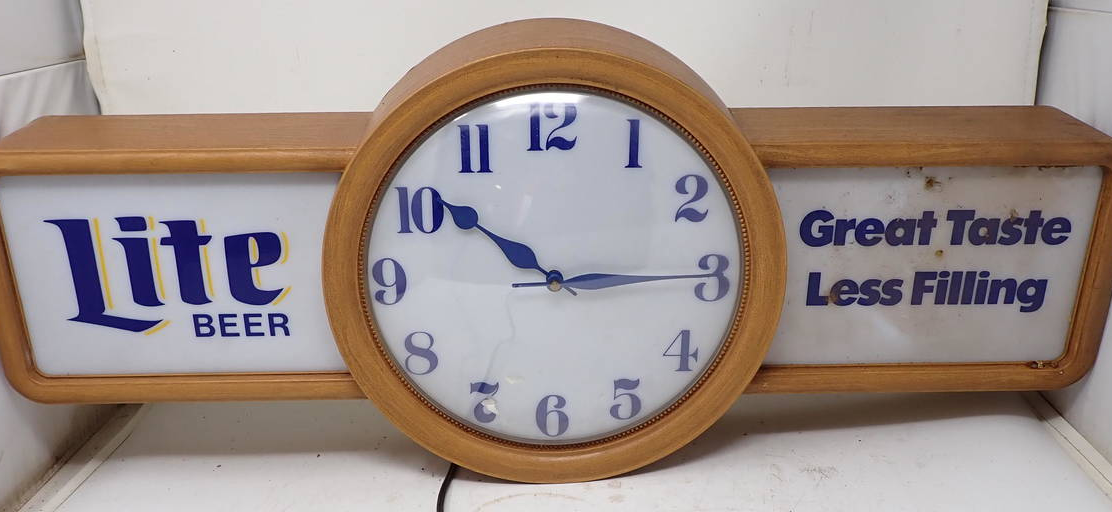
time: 10:14
